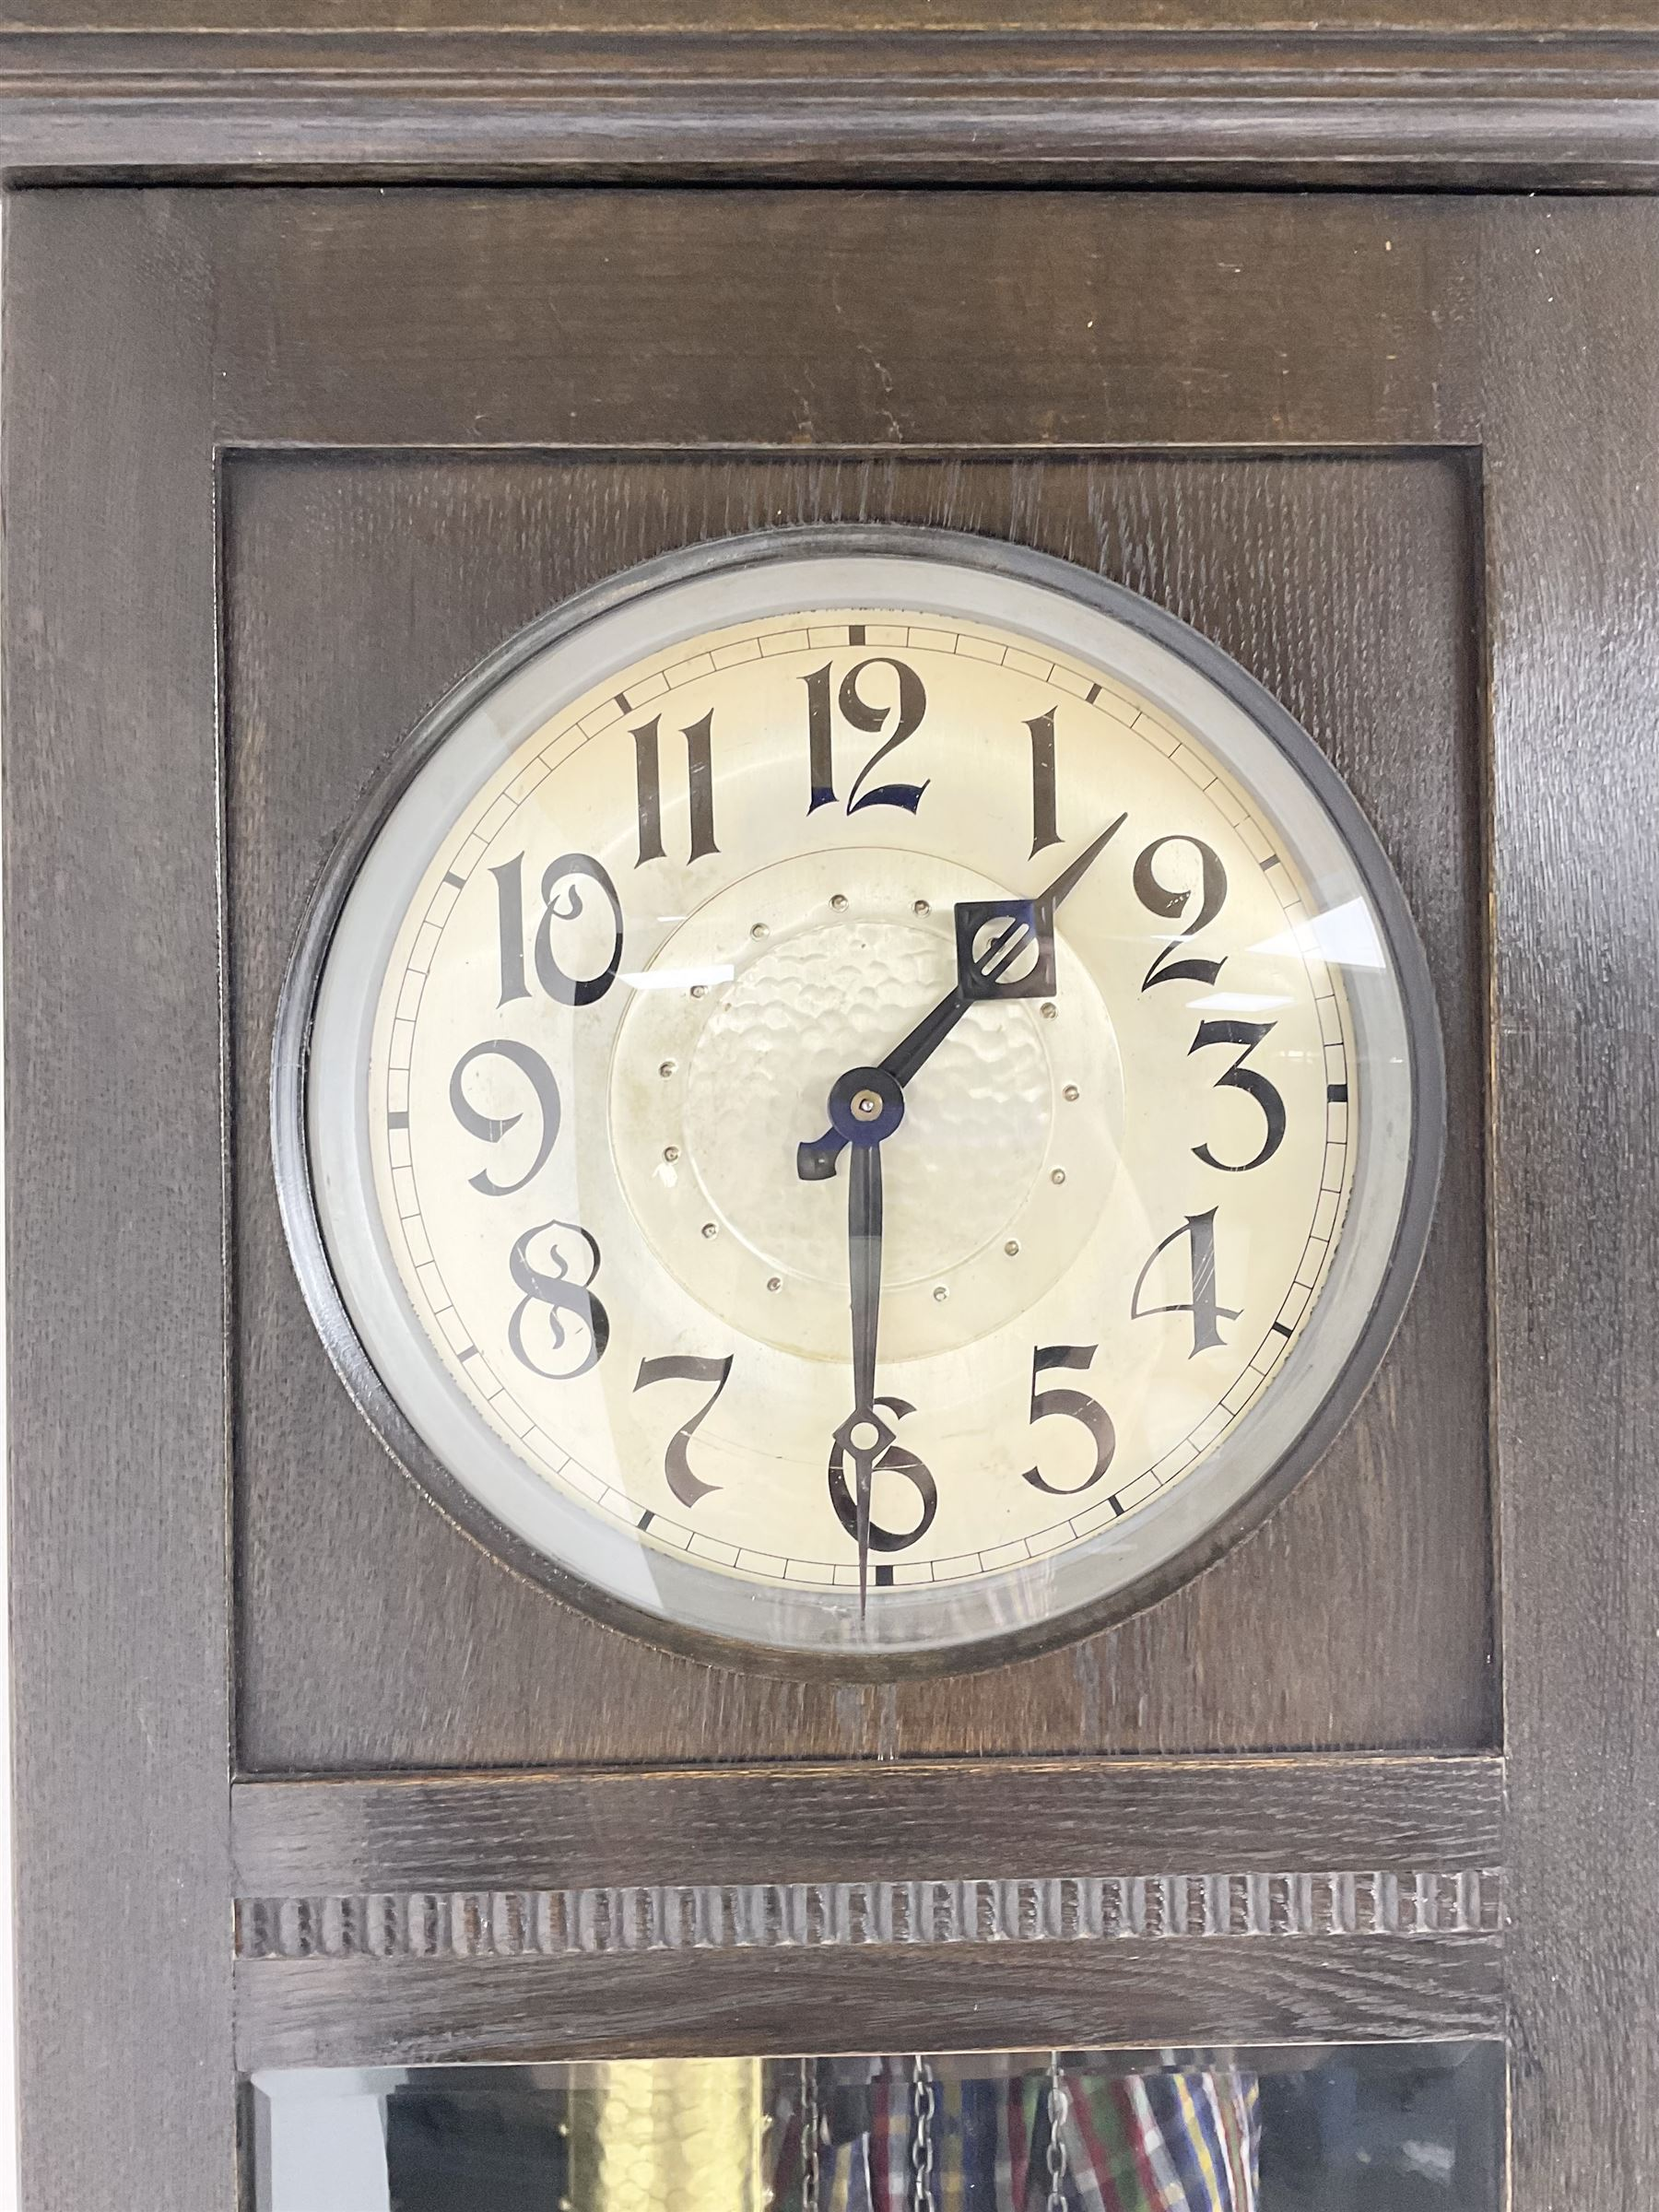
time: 1:30
